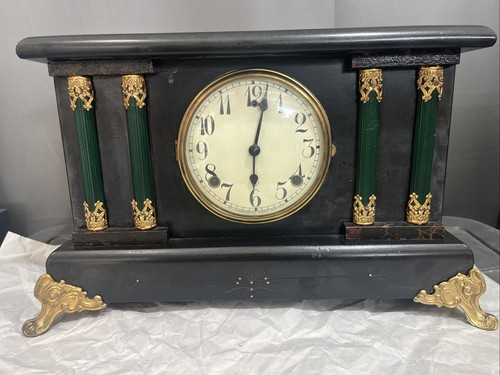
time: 6:02
